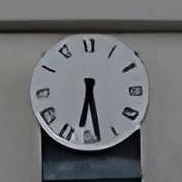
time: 6:28
